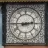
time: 2:45
